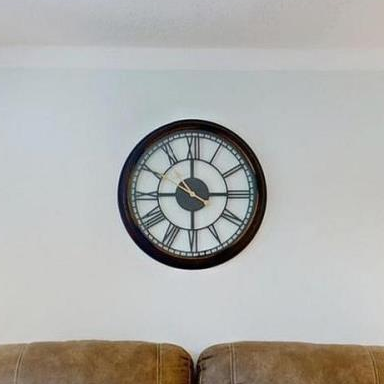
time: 2:59
